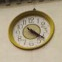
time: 4:21
